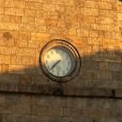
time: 7:37
